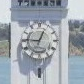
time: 12:46
